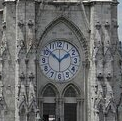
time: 1:51
